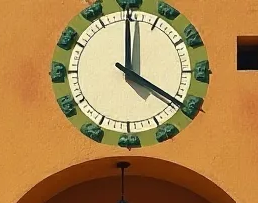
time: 4:00
